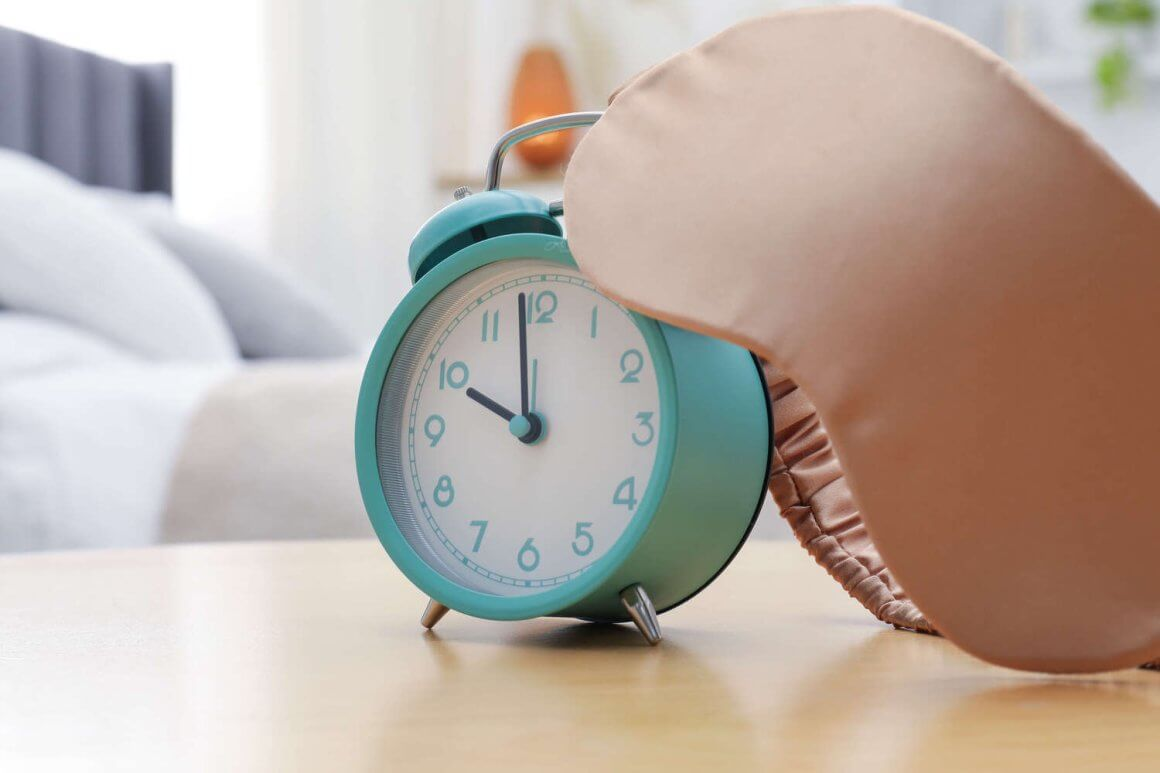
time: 9:59
